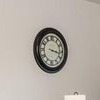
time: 3:17
